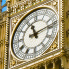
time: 11:13
